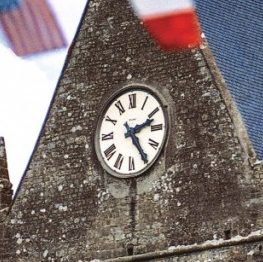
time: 2:24
